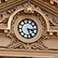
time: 3:26
